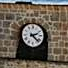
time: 2:22
